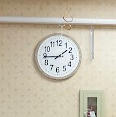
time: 1:44
